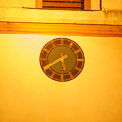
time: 5:40
